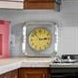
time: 2:52
